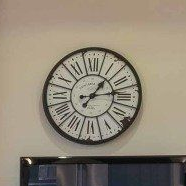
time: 1:13
